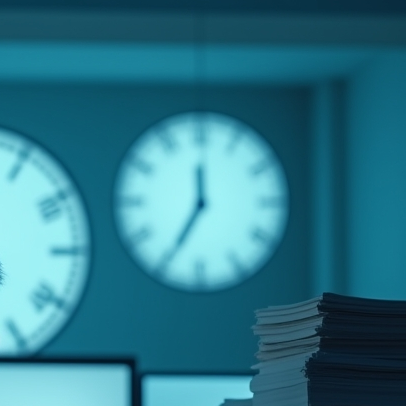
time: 11:34
